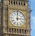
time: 3:00
